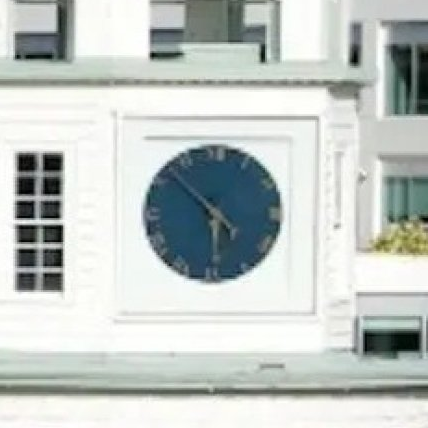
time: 5:52
